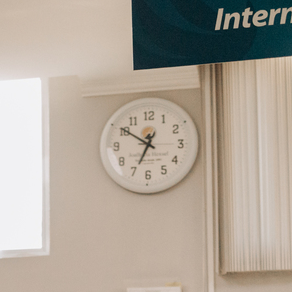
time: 6:50
